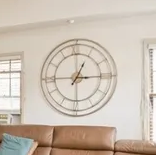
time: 1:14
